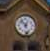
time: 12:53
